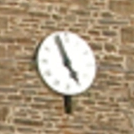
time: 4:56
